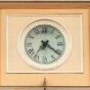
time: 7:21
